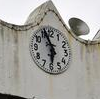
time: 5:55
